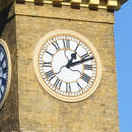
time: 1:11
